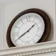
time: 1:40
